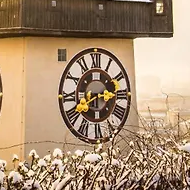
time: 2:40
